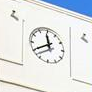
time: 11:40
